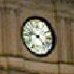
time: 9:23
